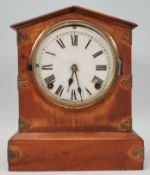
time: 6:27
